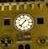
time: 1:37
